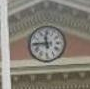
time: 11:44
